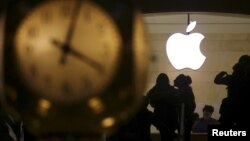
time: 4:02
